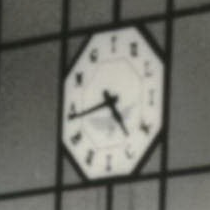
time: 4:43
